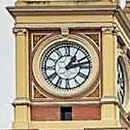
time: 1:12
